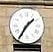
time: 1:35
